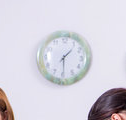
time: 1:29
